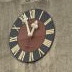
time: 12:57
